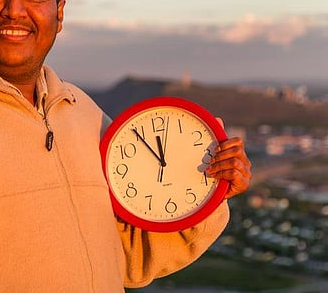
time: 11:54
